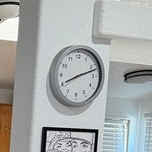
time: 8:11
